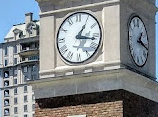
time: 1:16
